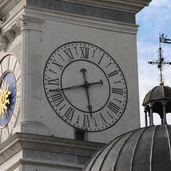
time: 5:42
